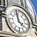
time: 3:58
